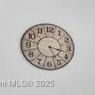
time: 3:26
